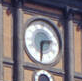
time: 2:31
